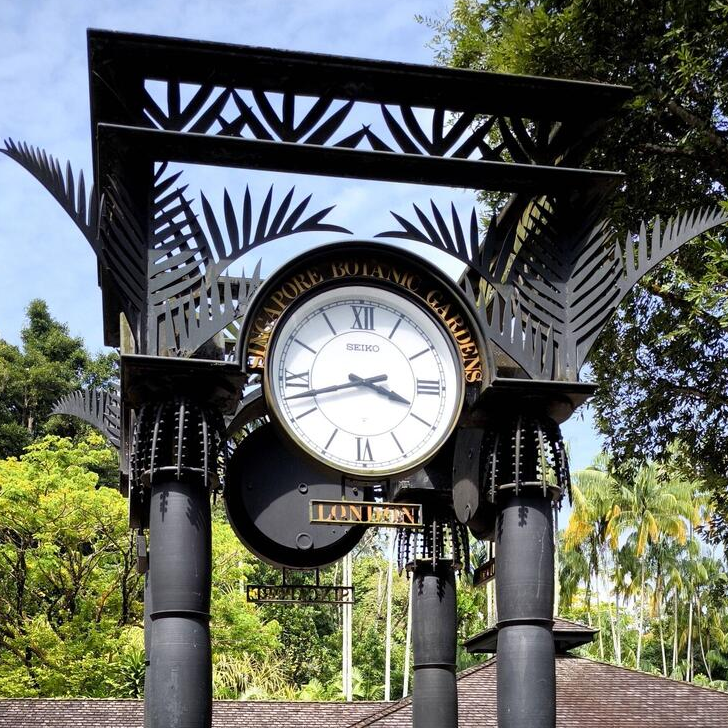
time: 3:42
